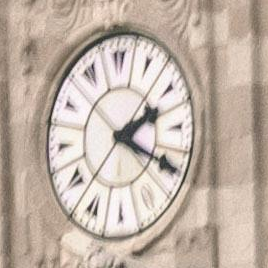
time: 2:19
